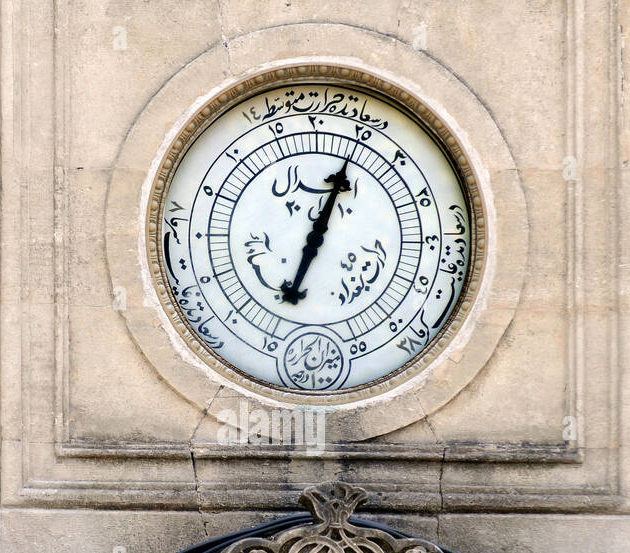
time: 6:01
